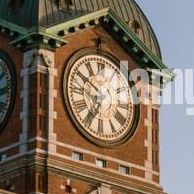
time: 6:50
